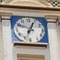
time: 12:49
